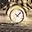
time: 10:07
